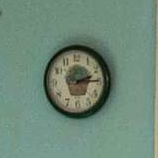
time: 2:14
